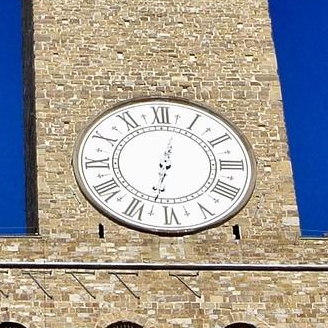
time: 12:32
